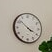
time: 3:52
